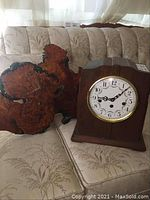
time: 8:07
